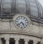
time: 4:37
